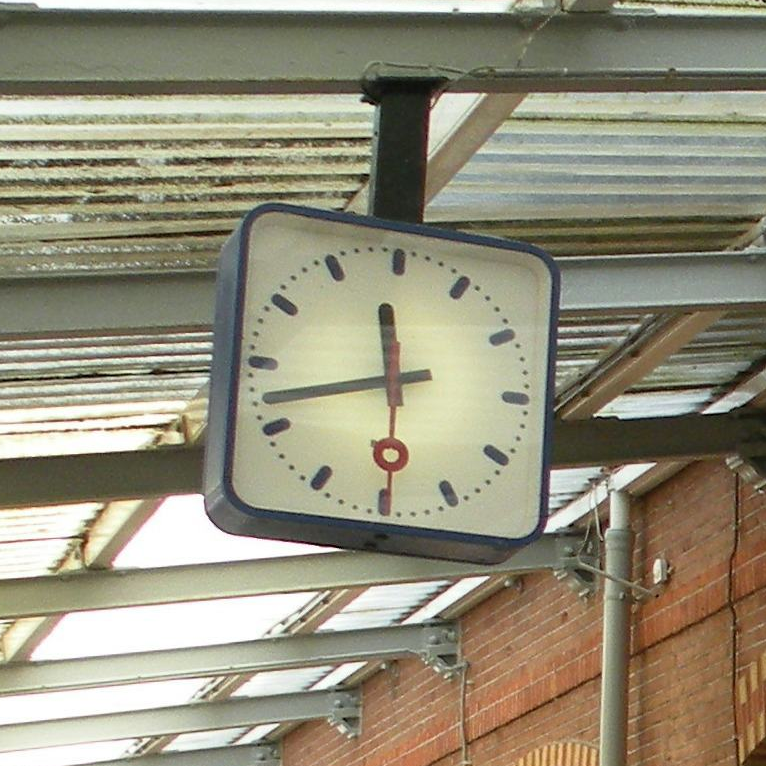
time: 11:42
